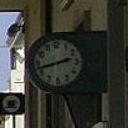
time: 2:42
